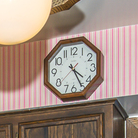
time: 4:25
